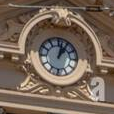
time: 1:02
